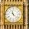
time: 11:22
